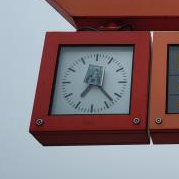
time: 7:22
